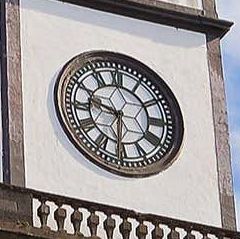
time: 9:30
